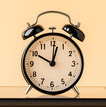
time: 10:02
